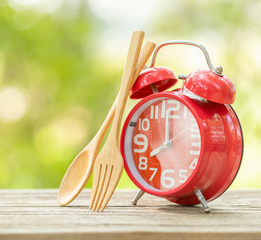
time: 7:59
